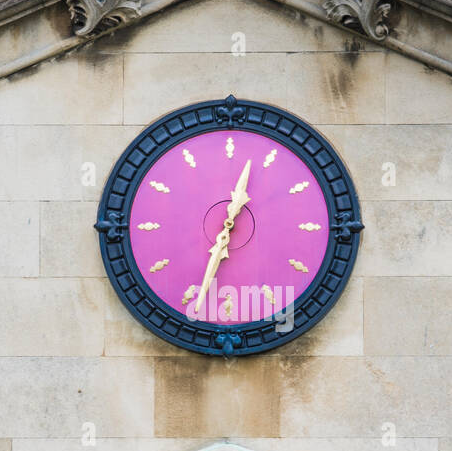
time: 12:33
